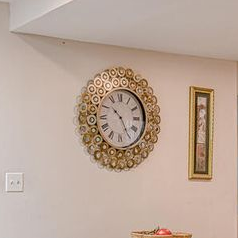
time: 10:24
